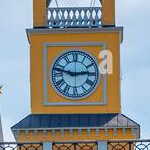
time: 2:47
